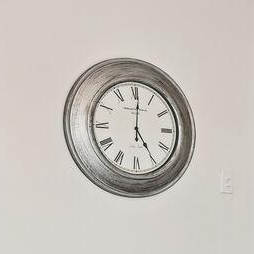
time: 5:00
